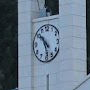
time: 10:28
